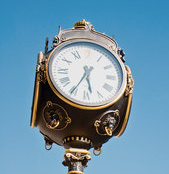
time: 5:35
